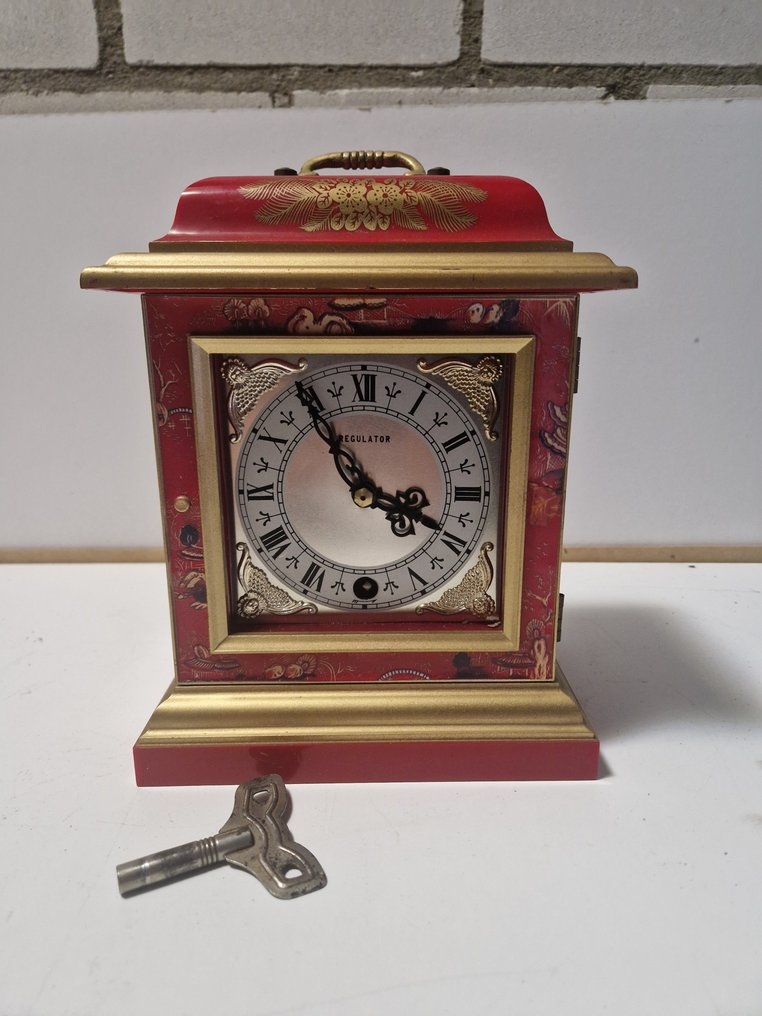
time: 3:54
